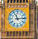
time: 11:13
